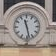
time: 11:28
